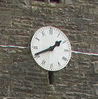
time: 1:41
